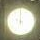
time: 5:59
